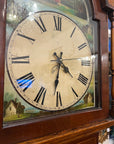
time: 4:31
